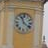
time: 11:21
